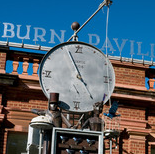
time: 4:56
